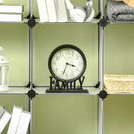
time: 3:33
